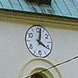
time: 4:02
